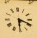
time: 6:18
